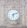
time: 6:10
